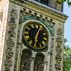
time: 6:03
